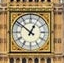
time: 12:51
